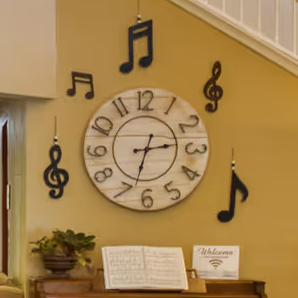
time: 2:33
